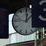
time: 12:46
